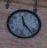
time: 11:23
